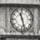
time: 11:27
